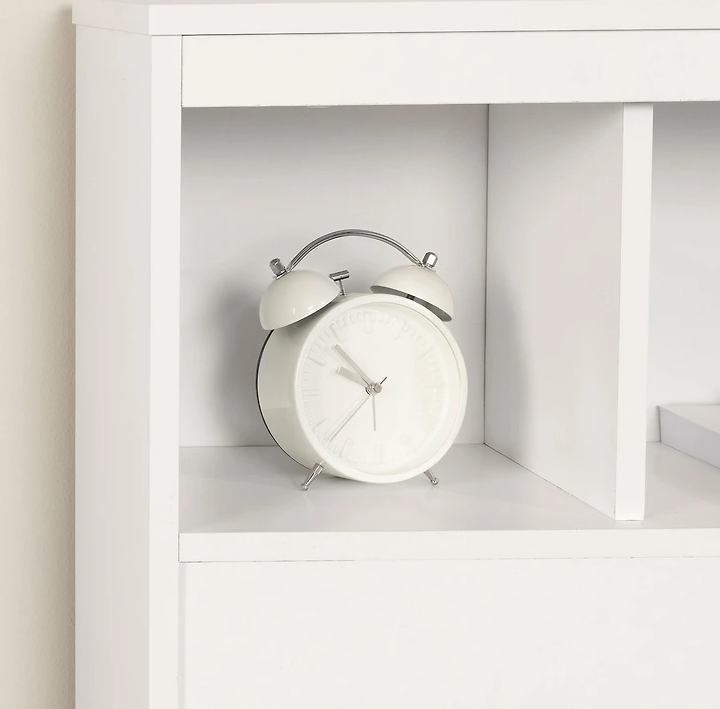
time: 9:53
